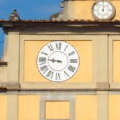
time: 8:46
